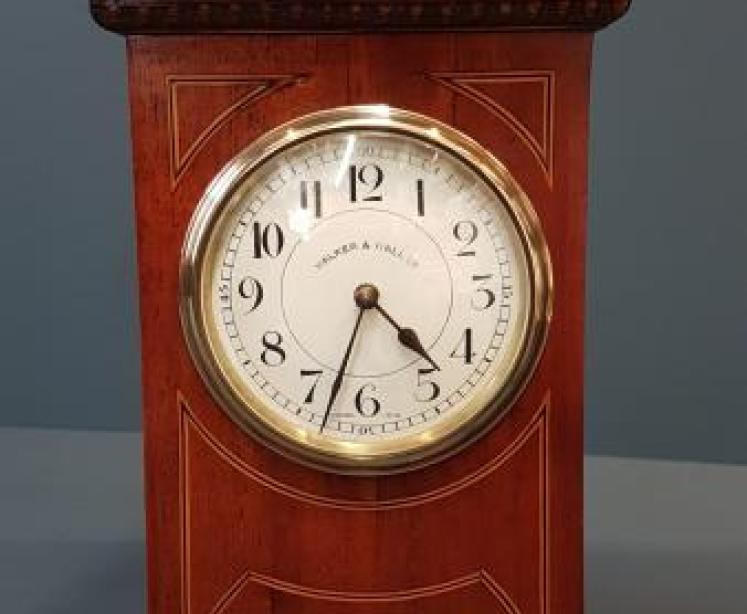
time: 4:33
